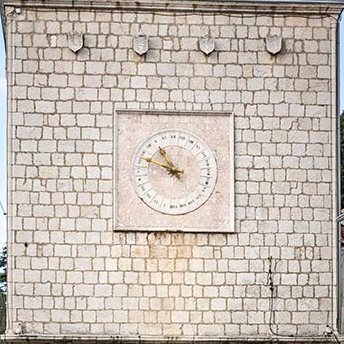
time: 10:48
